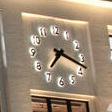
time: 7:18
